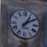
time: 1:09
